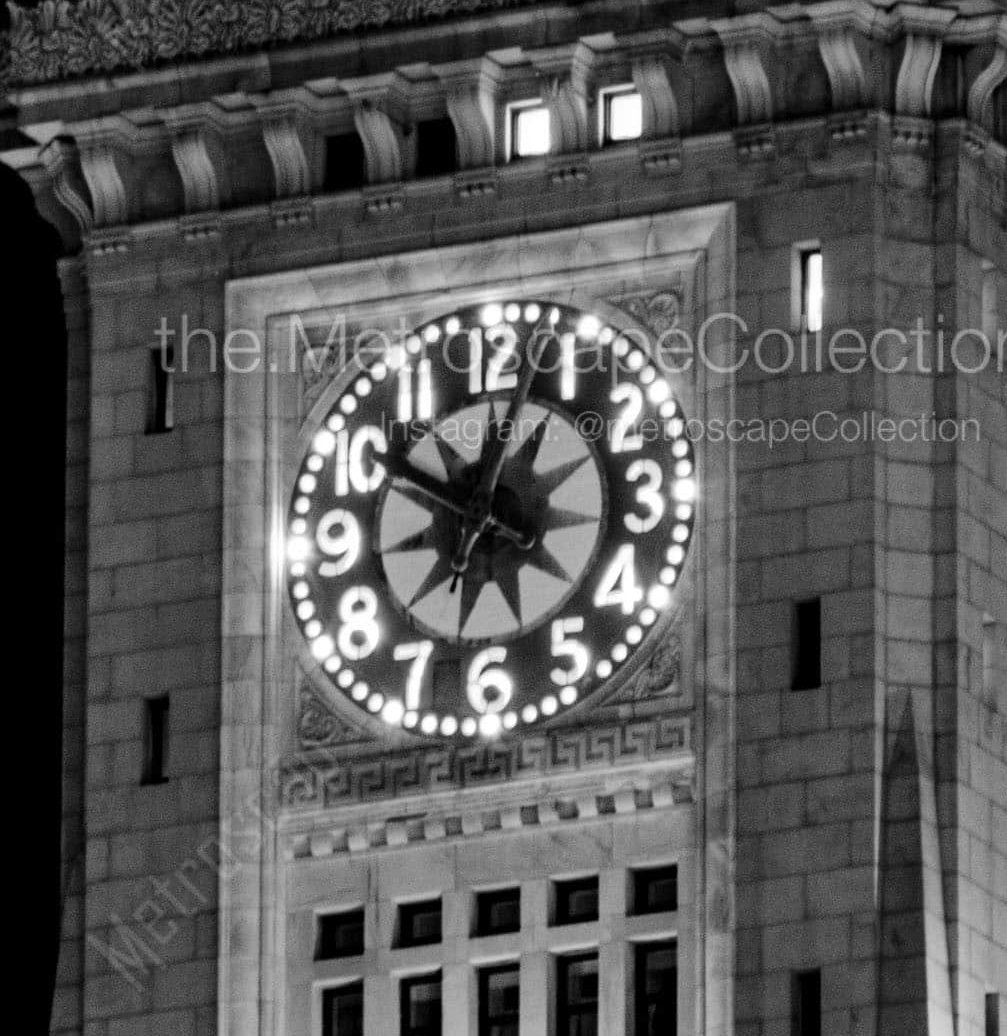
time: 12:51
